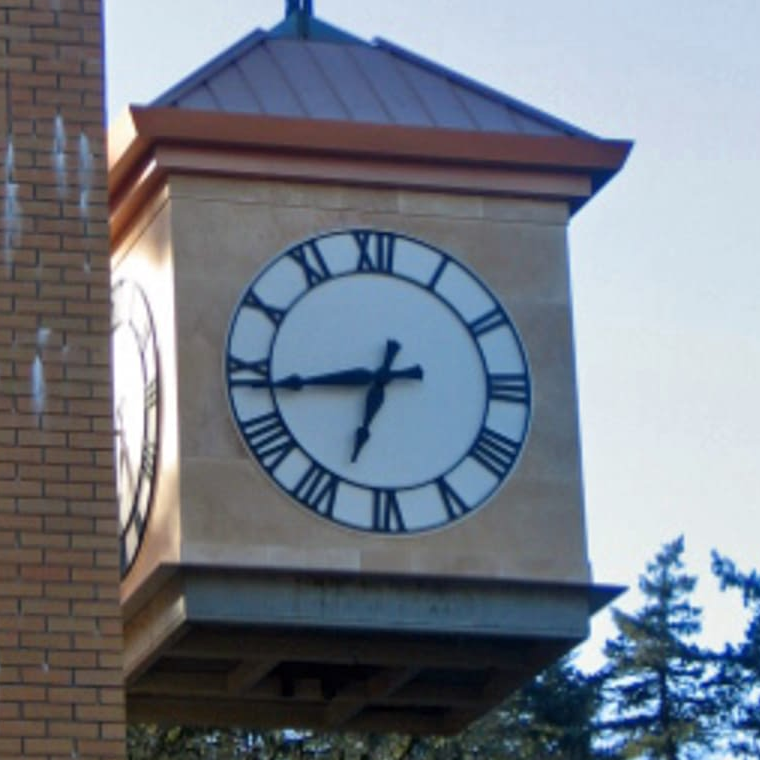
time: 6:43
